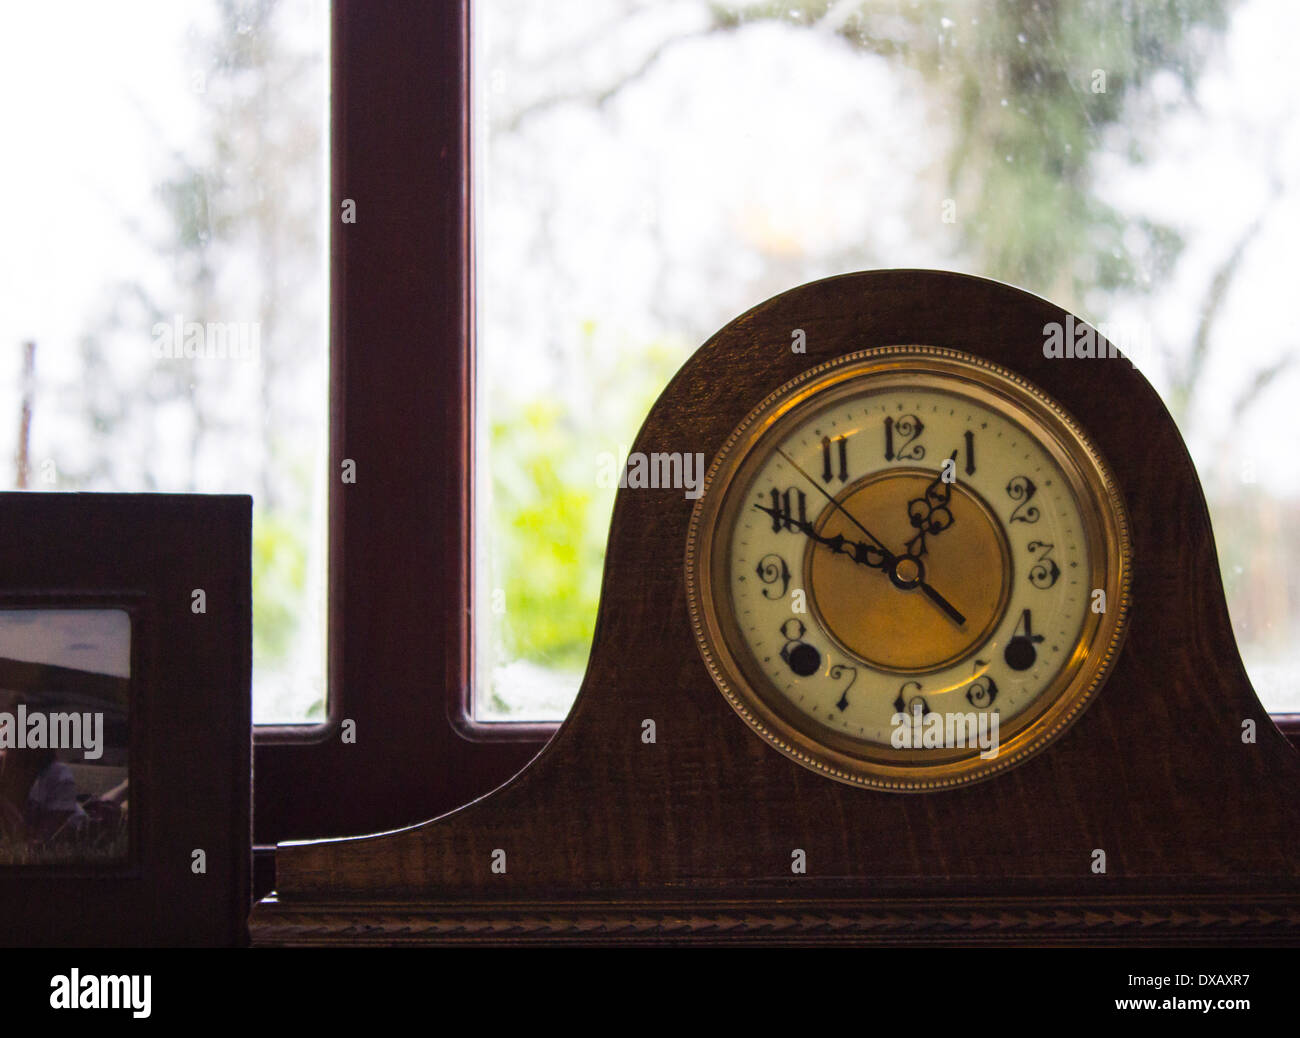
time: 12:49
